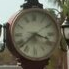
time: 3:38
